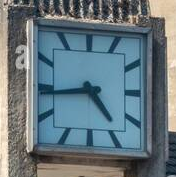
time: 4:43
